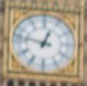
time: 12:47
